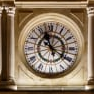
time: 11:20
